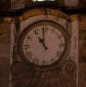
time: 10:59
